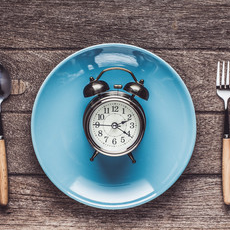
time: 2:20
